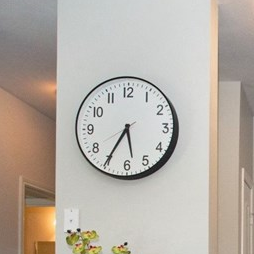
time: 5:35
